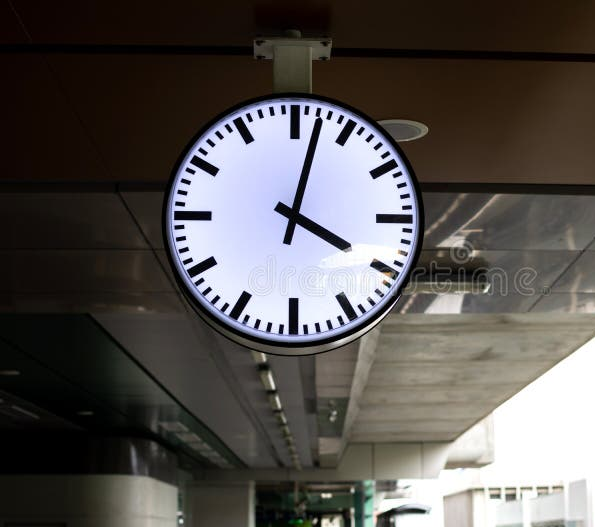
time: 4:02
